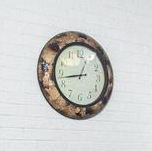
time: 12:42
